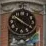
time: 10:20
